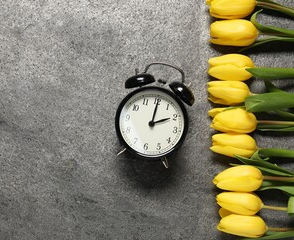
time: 2:00
